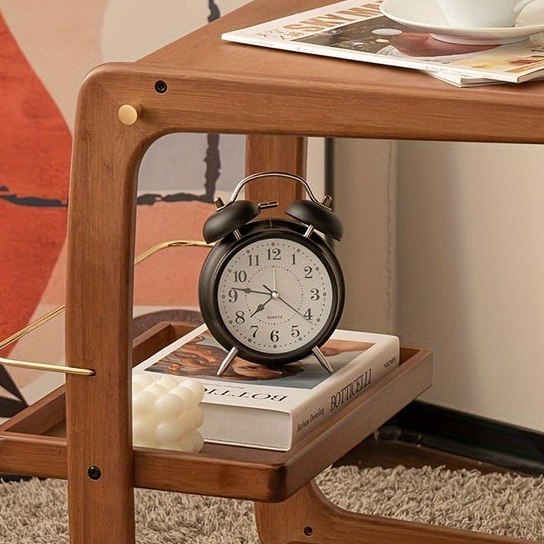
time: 7:46
